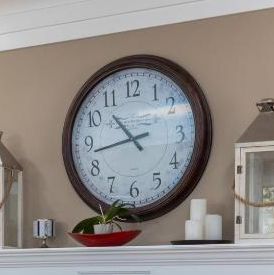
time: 10:43
